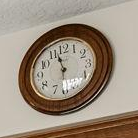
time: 11:29
